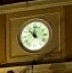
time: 11:52
